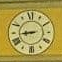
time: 8:44
